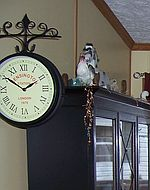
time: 1:50
